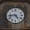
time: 4:44
